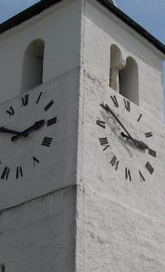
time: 2:49
